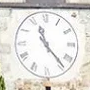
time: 11:23
